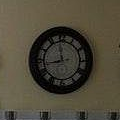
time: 11:43
